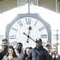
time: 12:20
